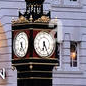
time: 6:25
